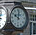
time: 10:00
